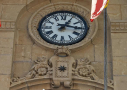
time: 1:16
